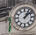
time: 1:08
